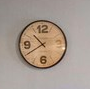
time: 10:39
